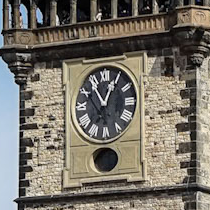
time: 12:54
